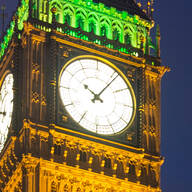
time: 10:06
